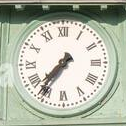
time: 7:36
